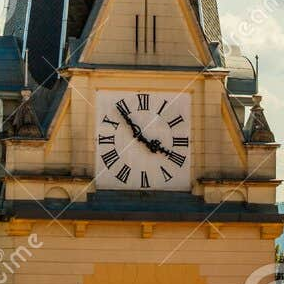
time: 3:53
